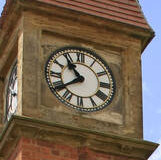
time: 10:39
